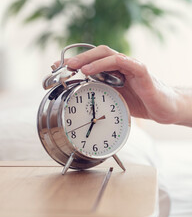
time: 7:00
